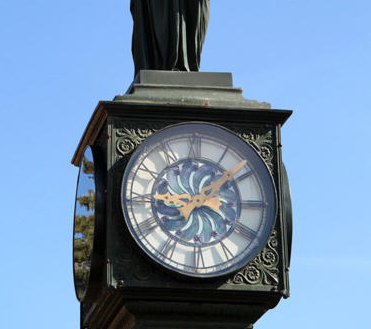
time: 9:08
